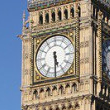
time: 5:29
